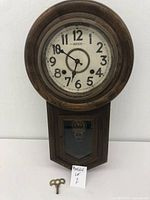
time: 6:50
